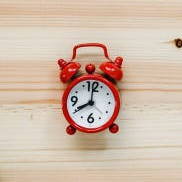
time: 8:00
